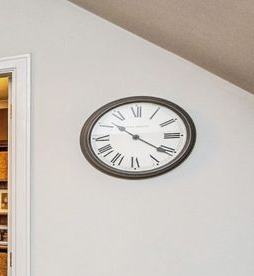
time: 10:20
